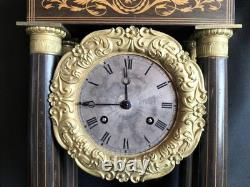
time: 11:44
